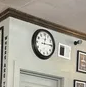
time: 12:14
